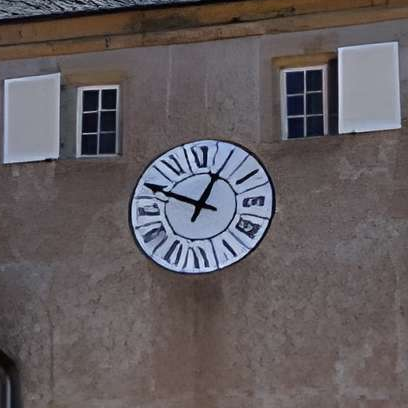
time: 12:49
